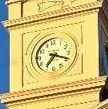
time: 7:18
